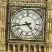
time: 4:43
